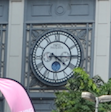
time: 4:14
